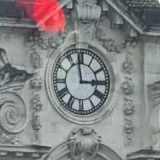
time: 2:58
